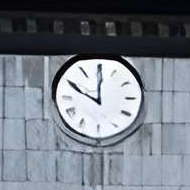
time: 10:00
